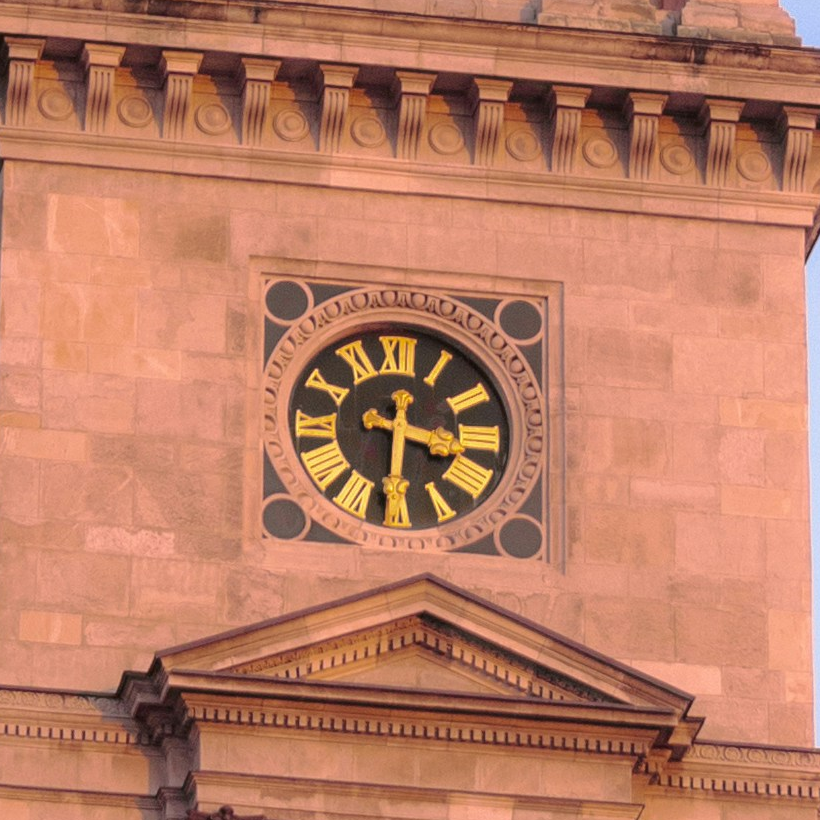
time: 3:30
